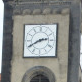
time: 2:40
